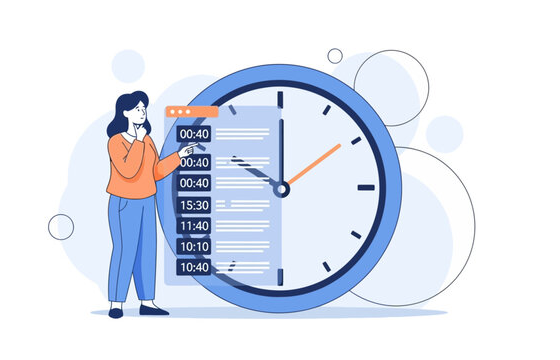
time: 10:00
